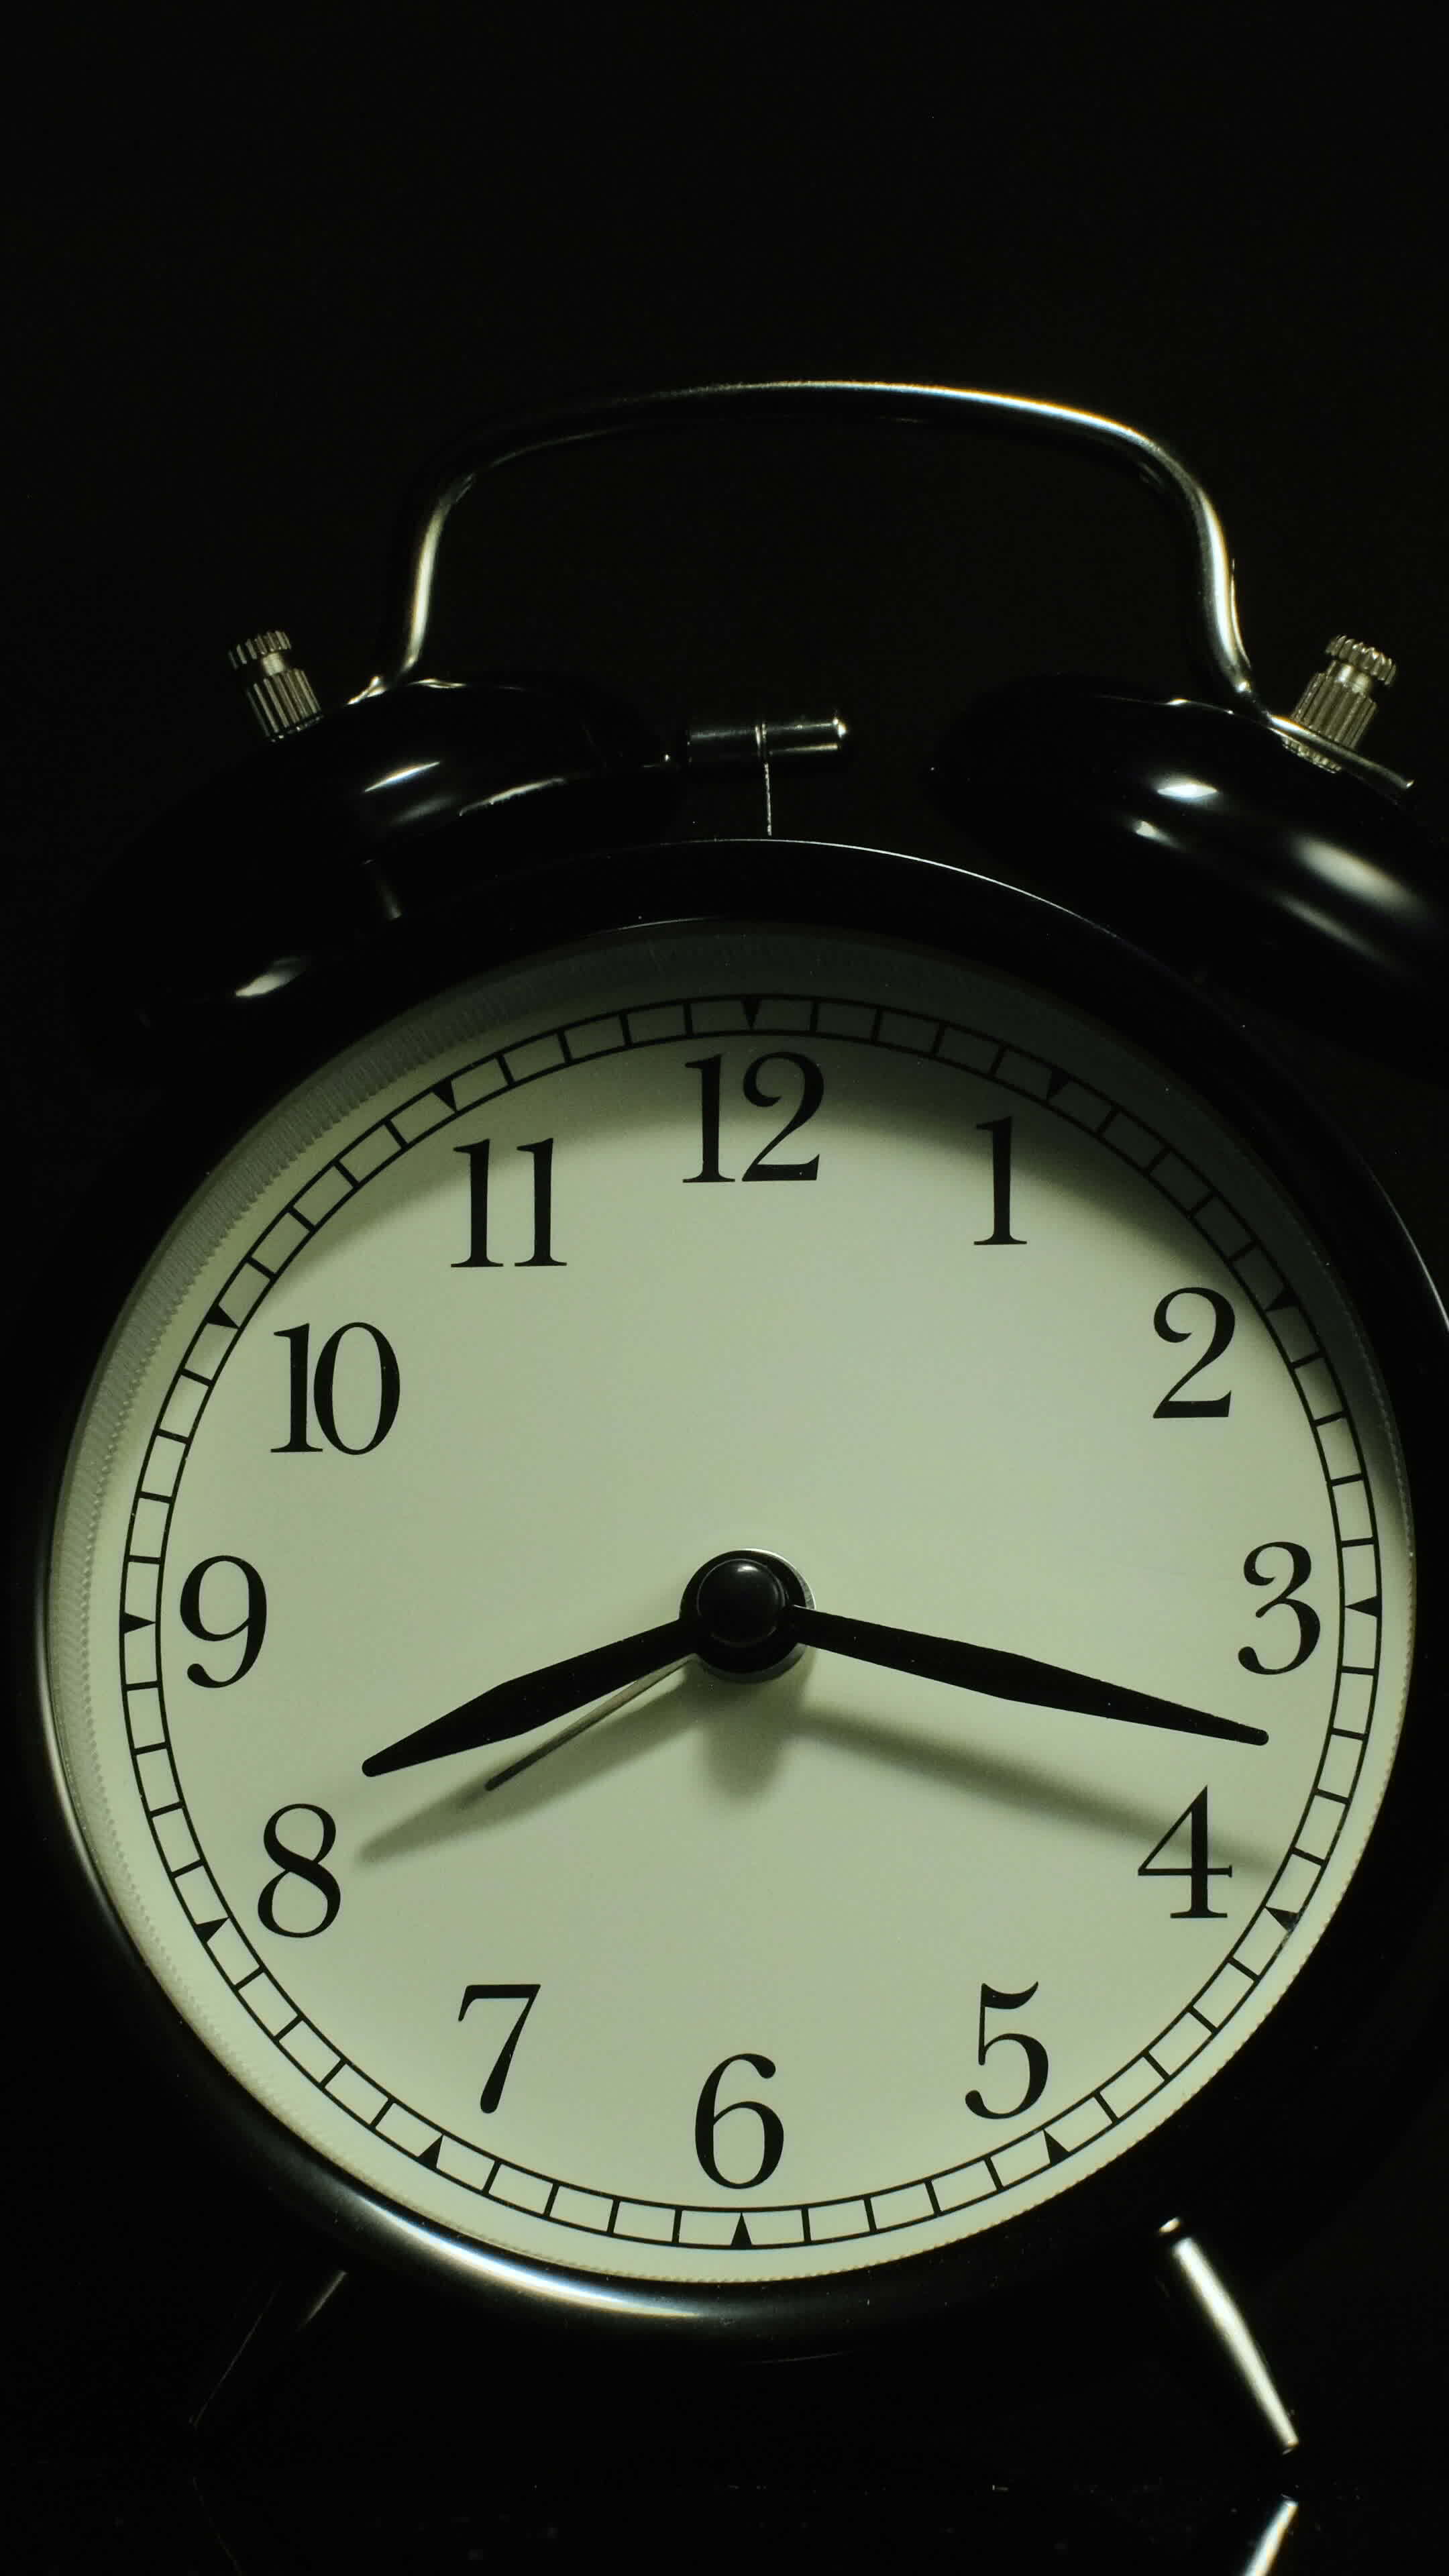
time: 8:17
